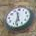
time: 11:32
